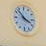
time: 3:52
